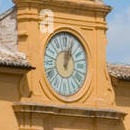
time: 12:03
